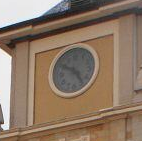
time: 4:50
